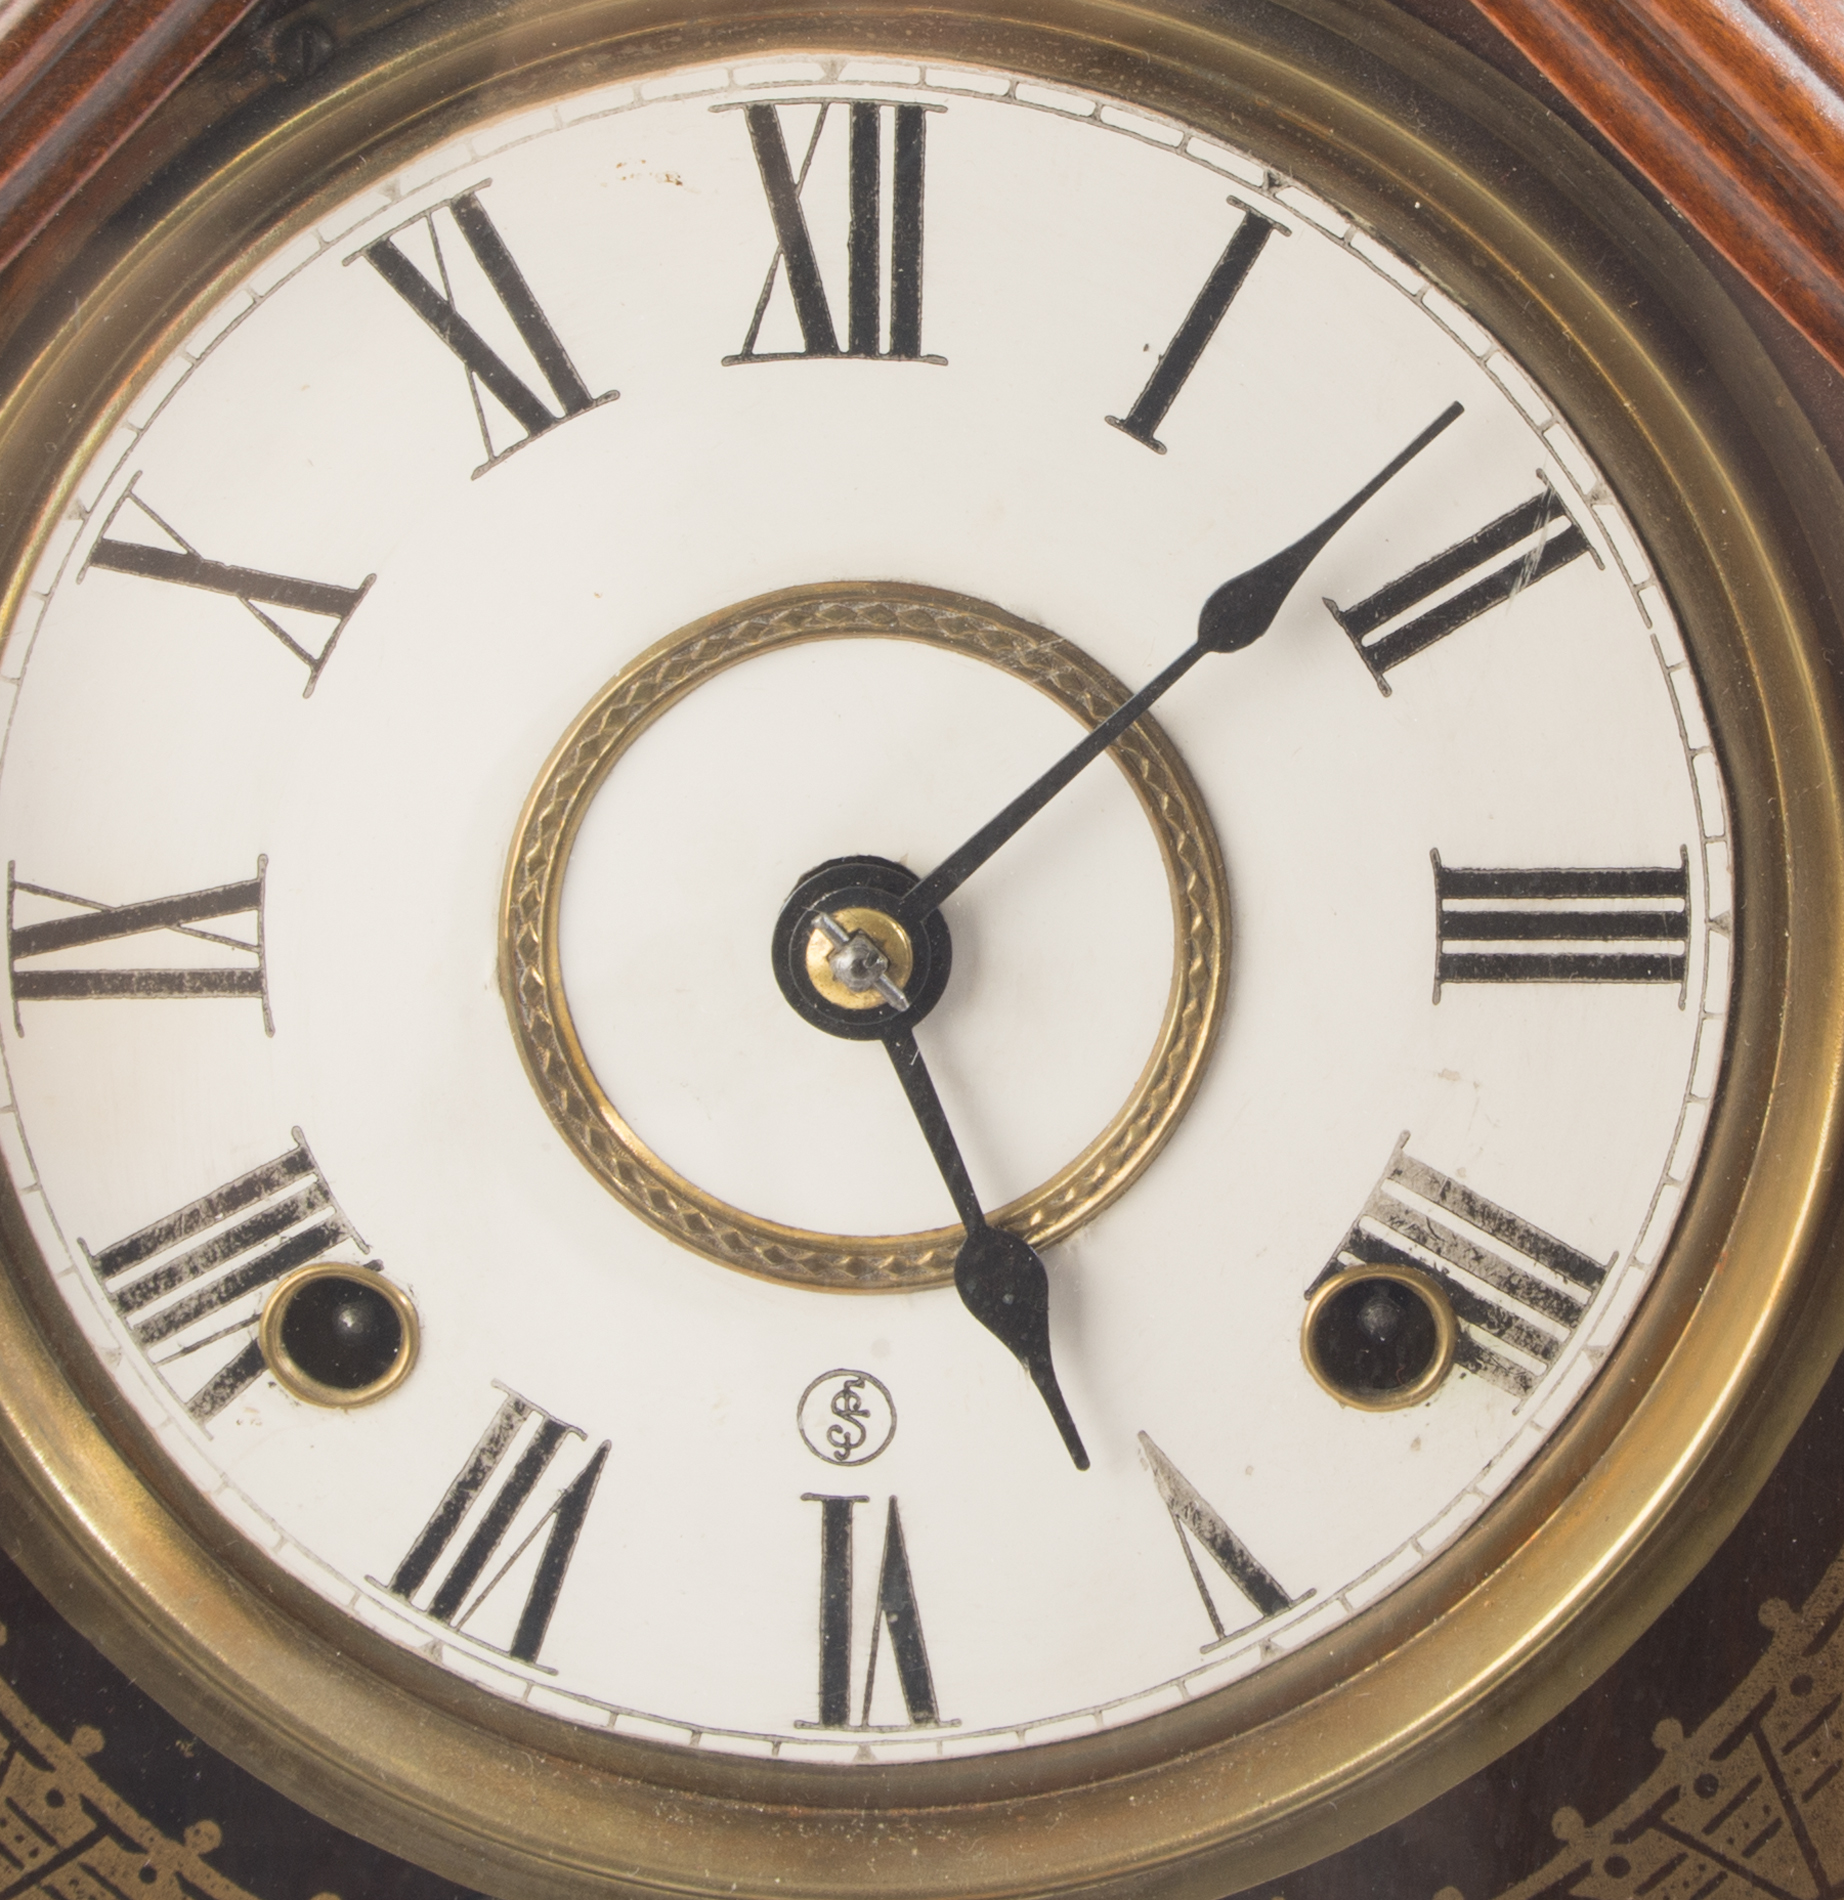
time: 5:08
